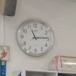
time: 11:14
